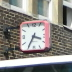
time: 3:35
